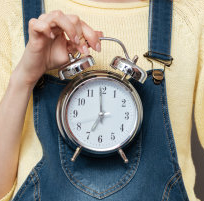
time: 6:59
